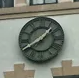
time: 1:40
